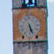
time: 5:26
